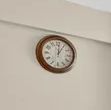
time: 12:05
